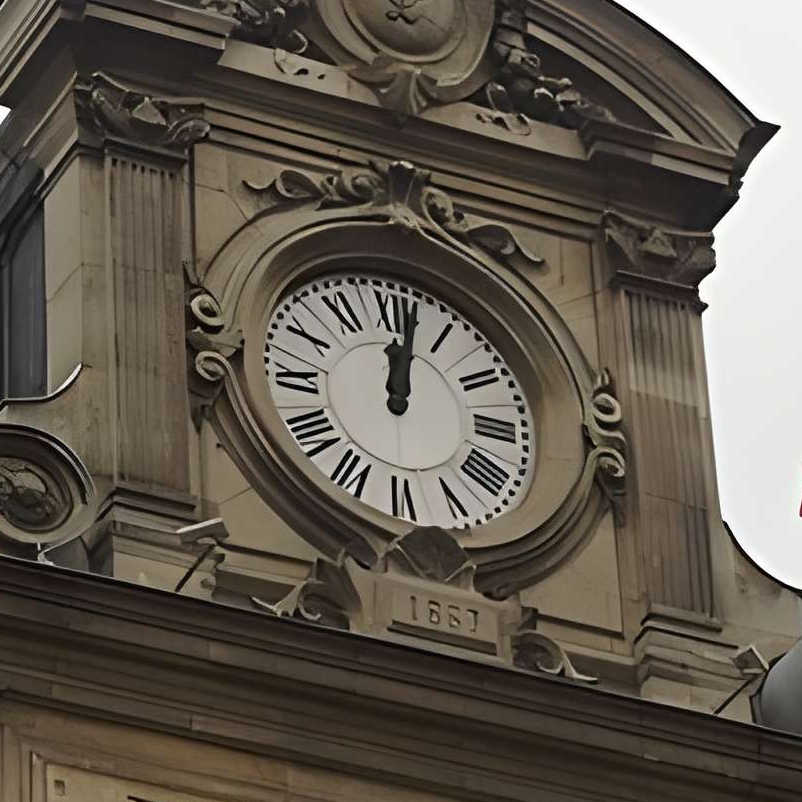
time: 12:01
